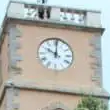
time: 10:00
